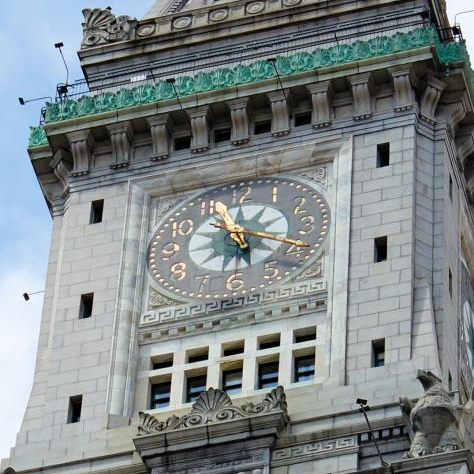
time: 12:56
